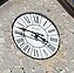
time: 3:47
